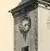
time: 7:12
